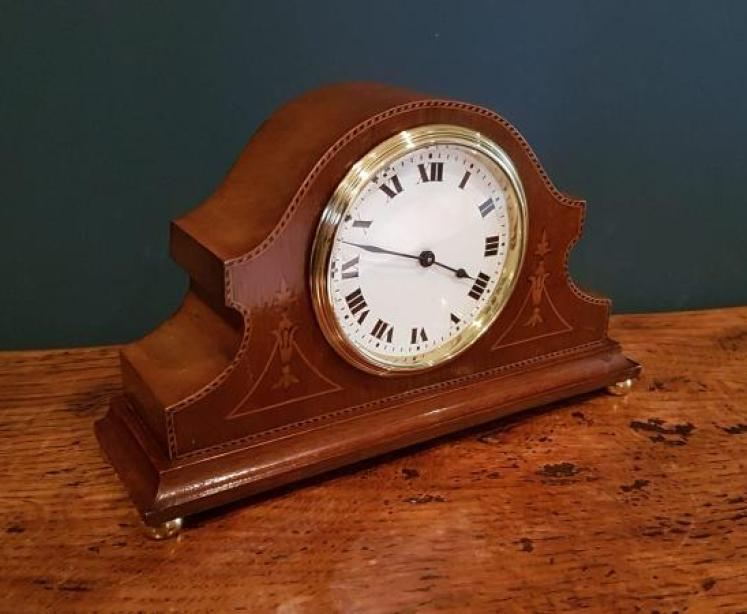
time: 3:47
